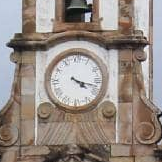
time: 4:17
